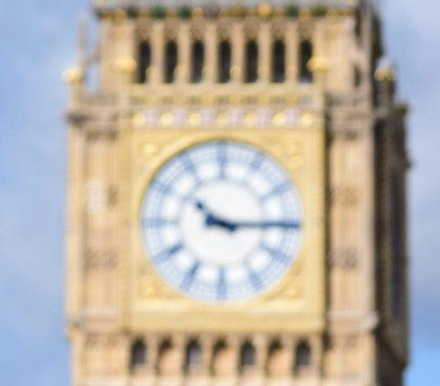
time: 10:14
